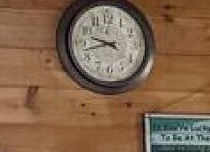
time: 9:42
